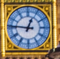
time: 12:46
